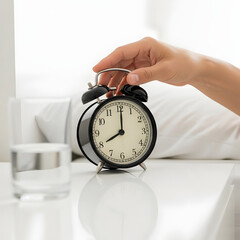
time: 8:00
